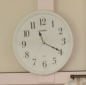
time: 11:19
